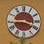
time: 3:44
